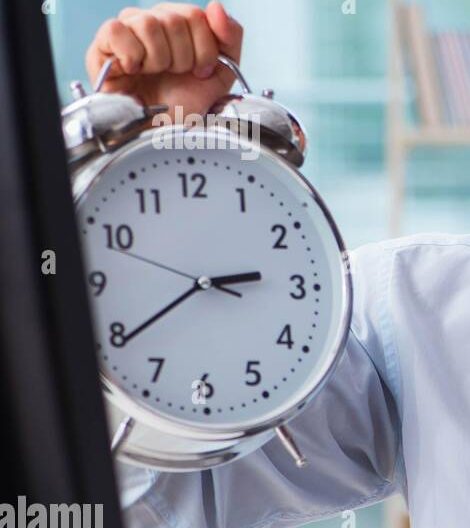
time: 2:39
